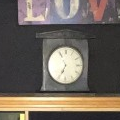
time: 6:55
